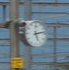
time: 5:12
